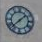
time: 1:37
